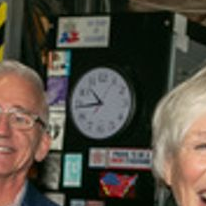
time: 10:43
